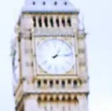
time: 1:13
